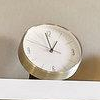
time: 12:57
